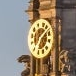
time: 7:07
